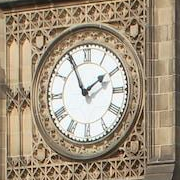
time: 1:55
